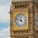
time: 11:47
